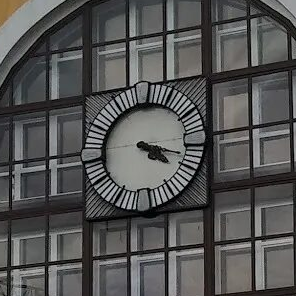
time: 4:17
